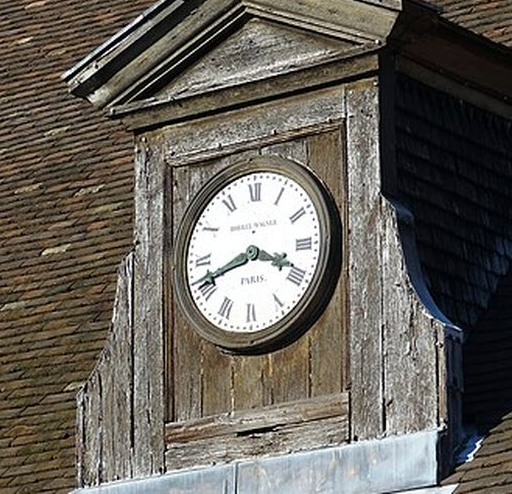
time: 3:41
